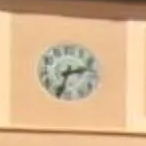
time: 2:33
